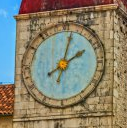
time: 2:02
